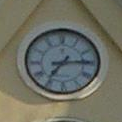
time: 7:14
